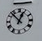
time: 12:52
